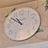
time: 10:50
